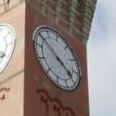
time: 3:50
